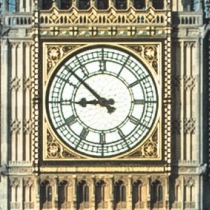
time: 8:51
